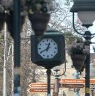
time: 12:40
